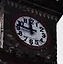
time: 11:46
